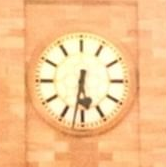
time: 5:31
